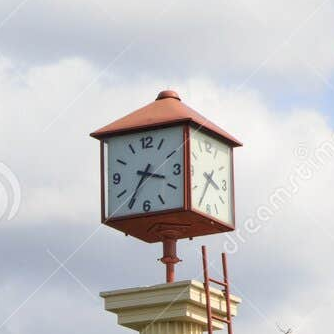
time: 3:35
